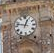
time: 12:47
